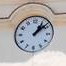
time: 1:08
